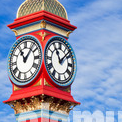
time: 11:07
